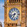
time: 6:42
